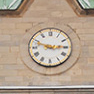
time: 2:48
